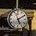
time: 5:09
